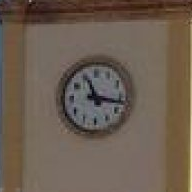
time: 11:16
